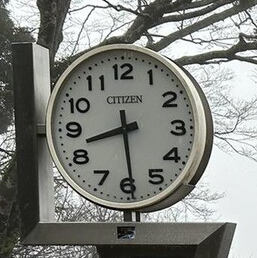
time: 8:29
